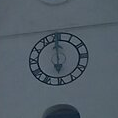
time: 5:59
